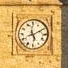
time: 5:09
